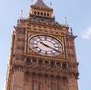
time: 10:19
